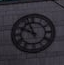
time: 9:56
